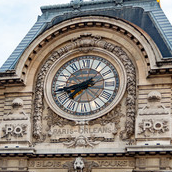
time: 7:42
